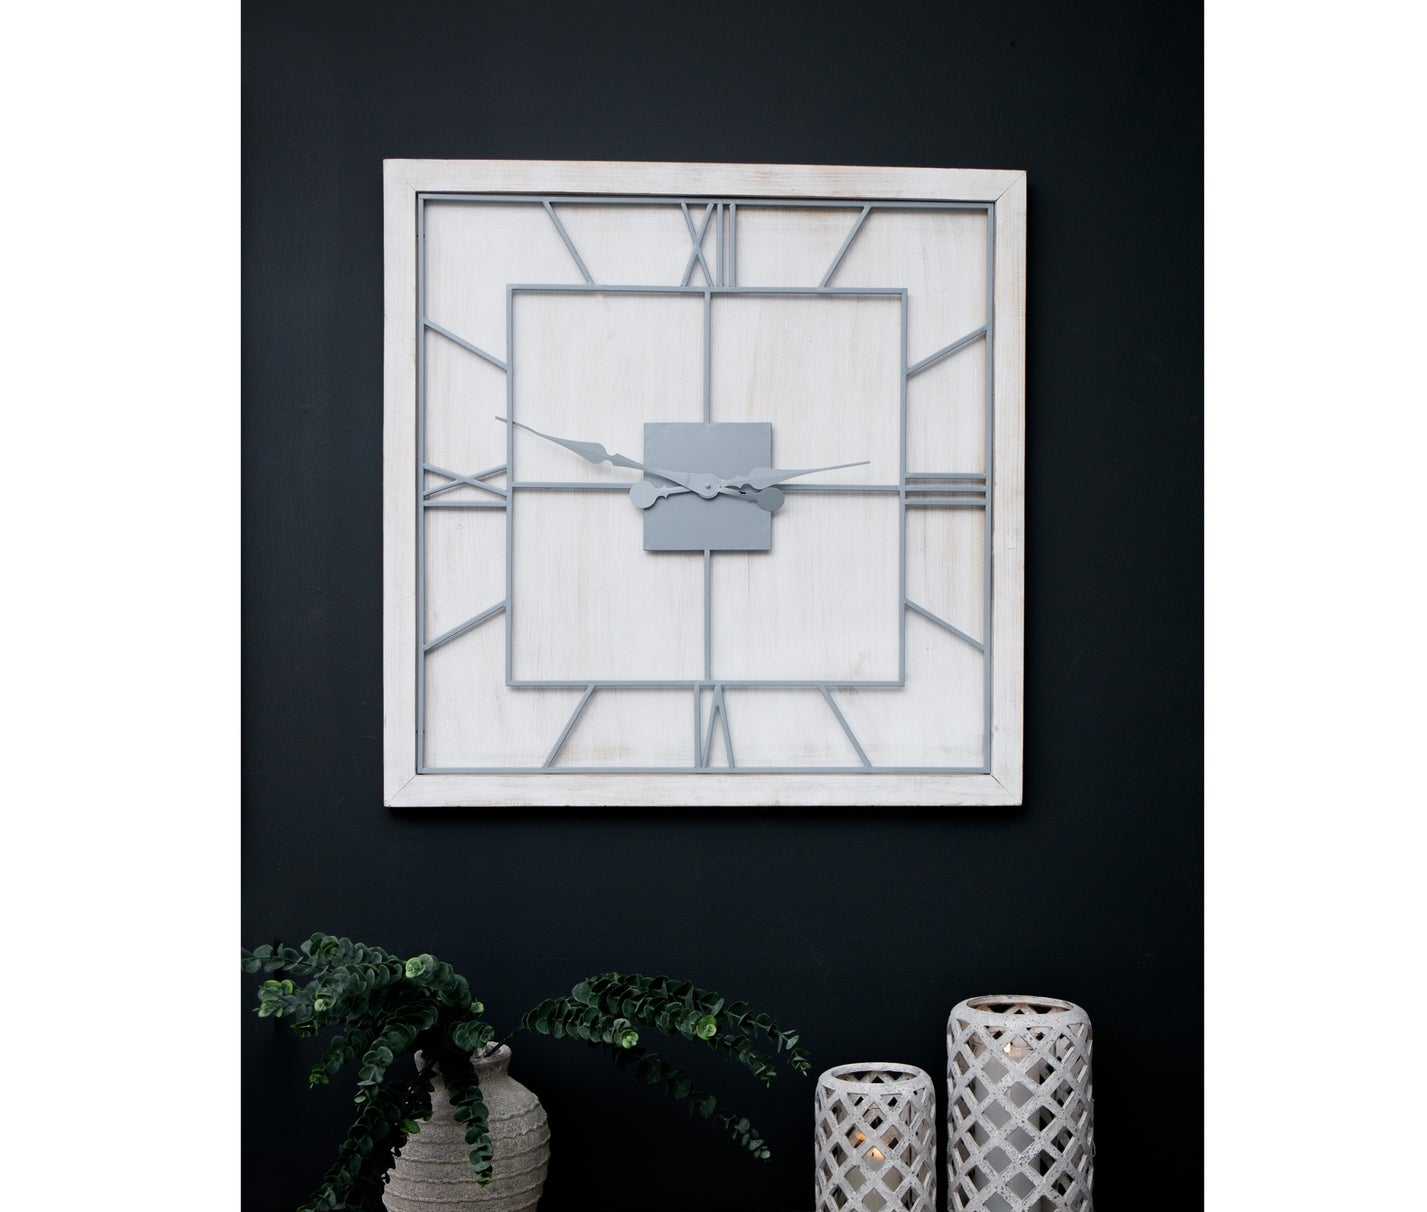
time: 9:14
